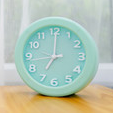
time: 7:00
